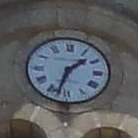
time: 1:32
